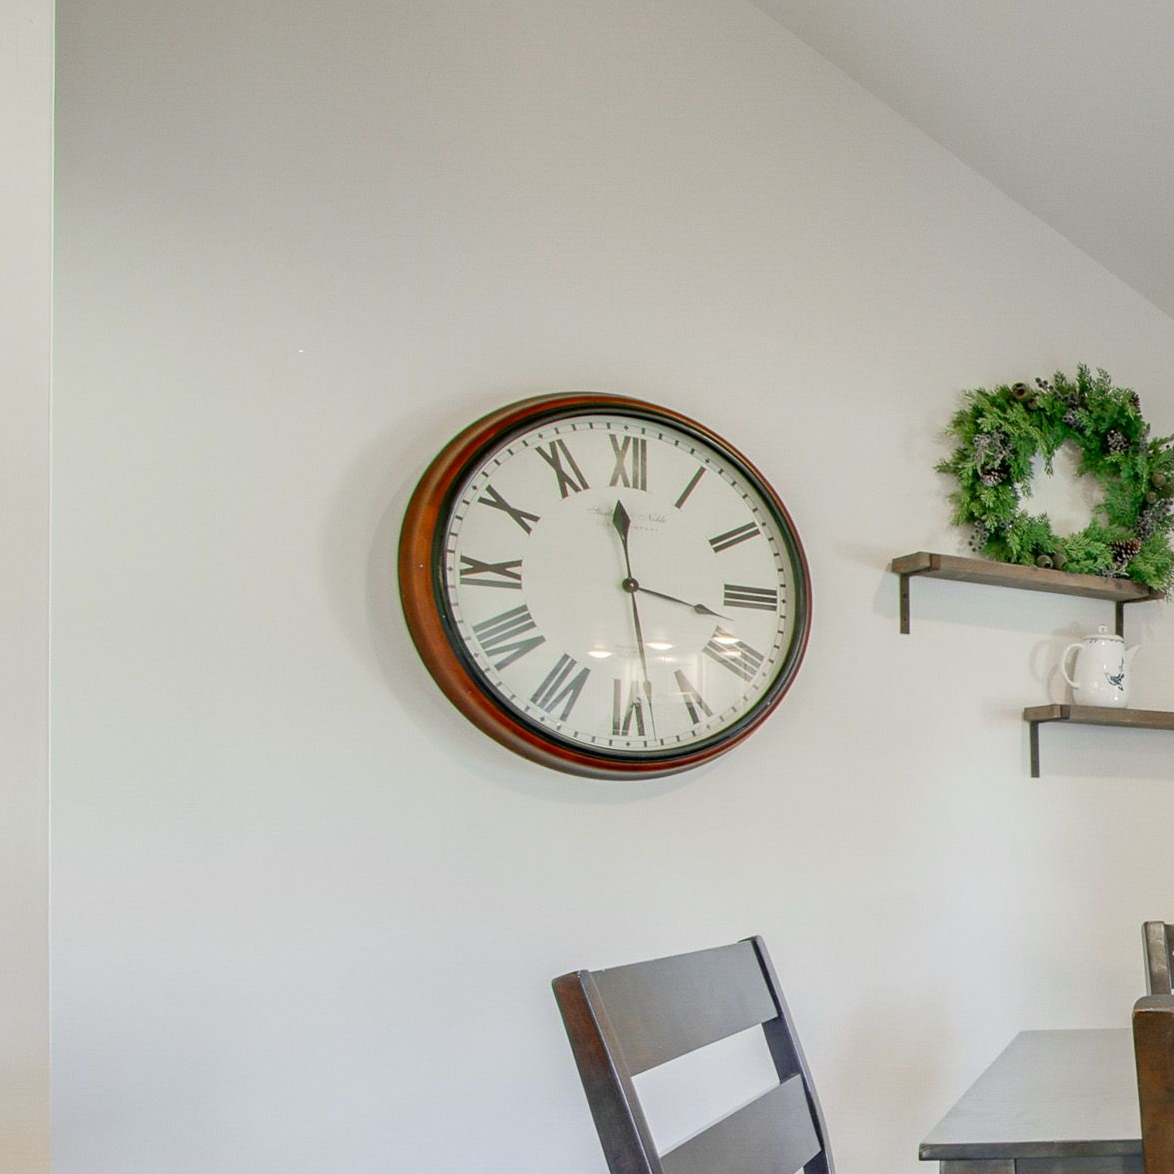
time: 3:28
